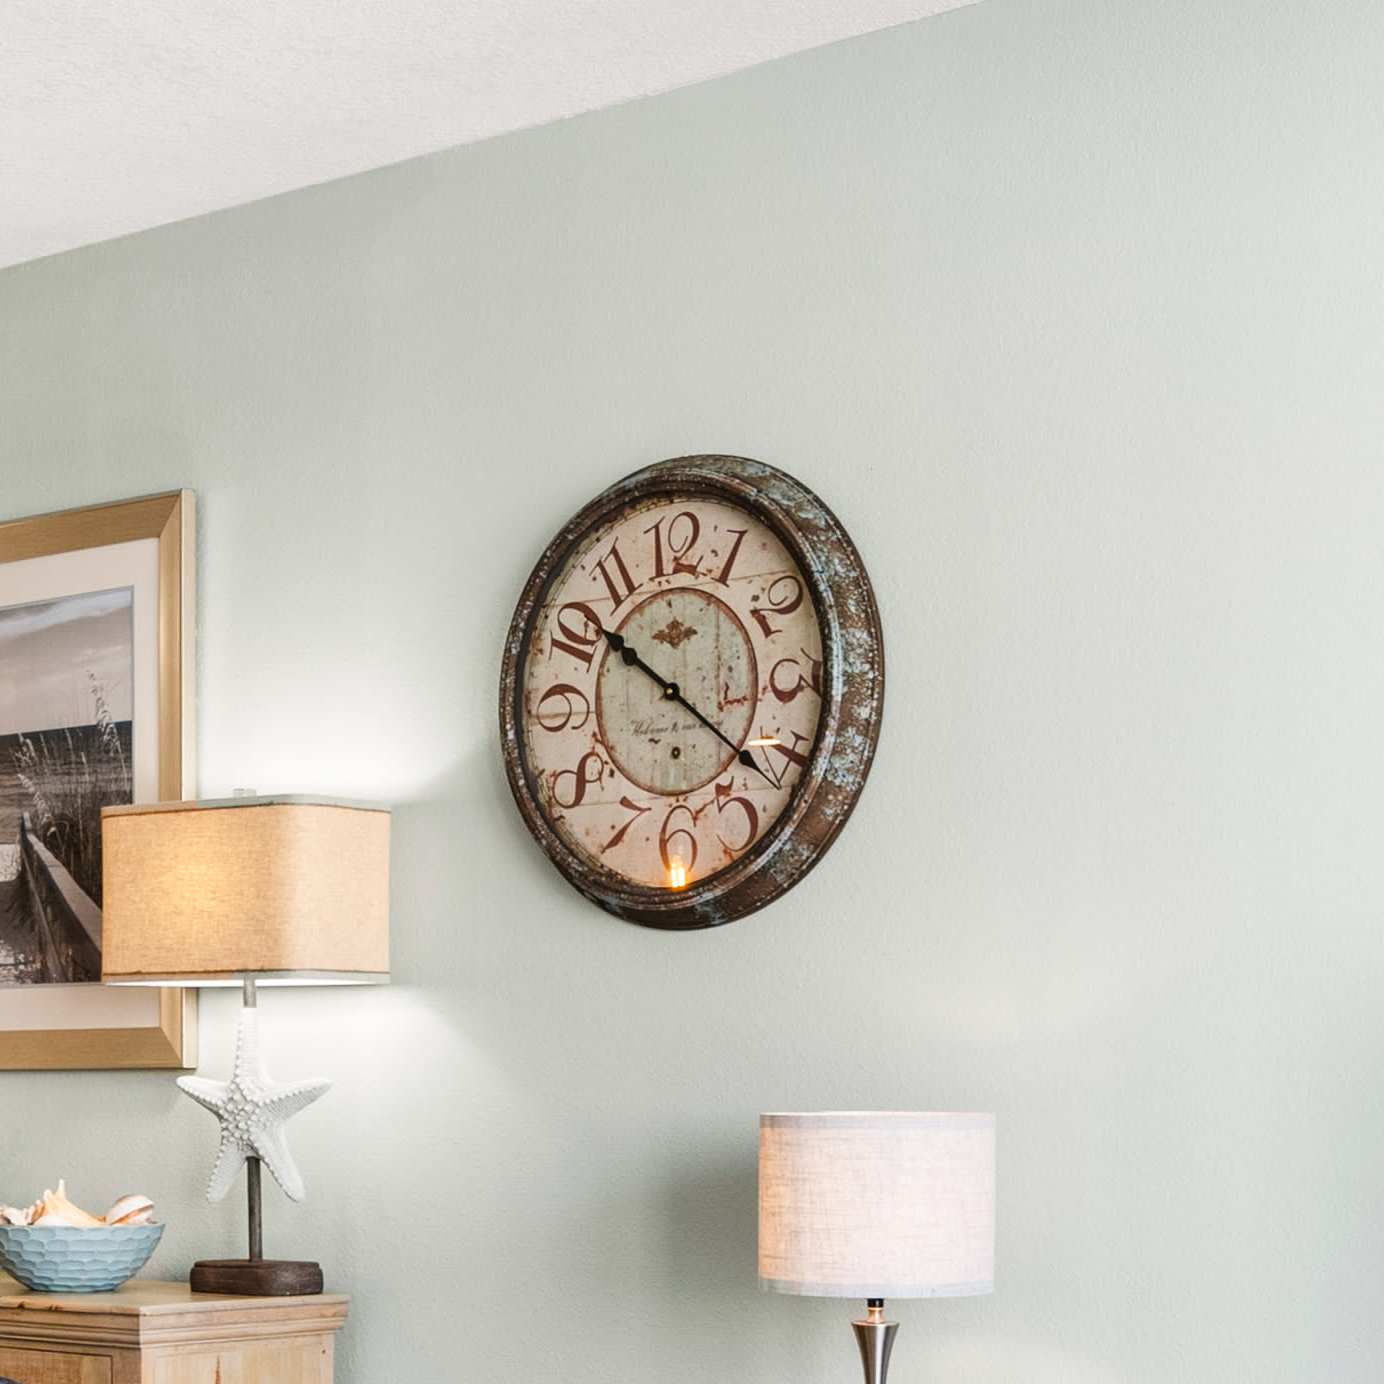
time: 10:21
